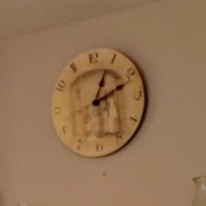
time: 1:11
